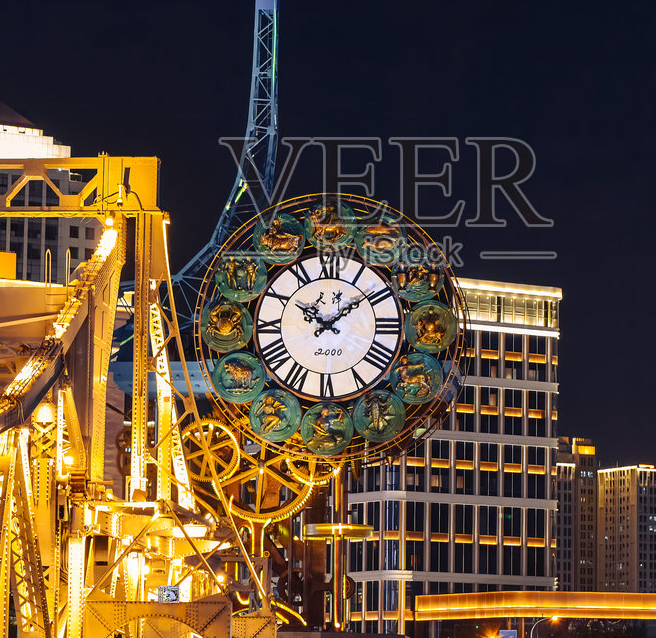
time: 10:08
